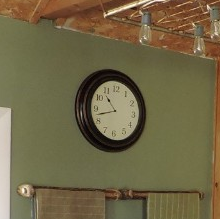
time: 10:42
